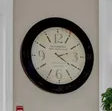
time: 2:20
